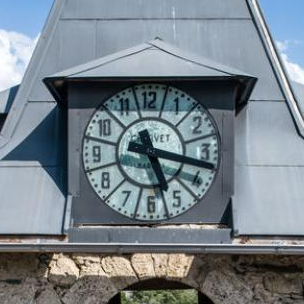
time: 5:17
